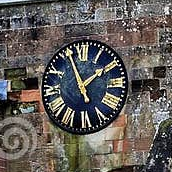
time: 1:56
